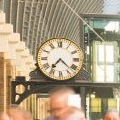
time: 7:22
